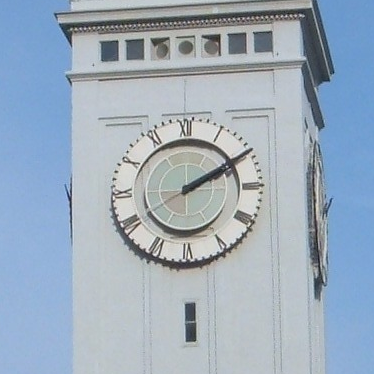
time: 2:10
